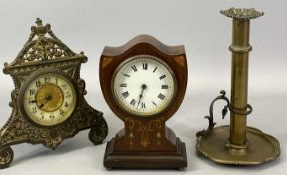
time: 6:32
